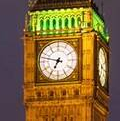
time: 6:47
